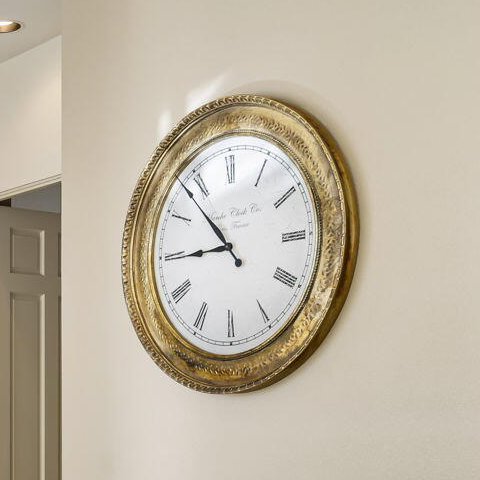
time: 8:53
